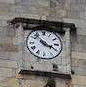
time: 3:52
